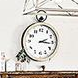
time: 3:11
